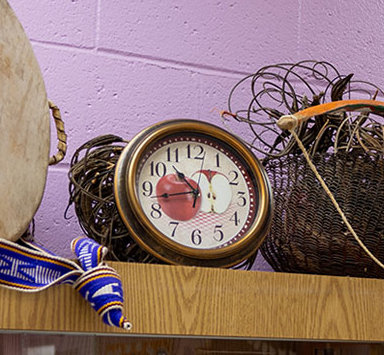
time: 10:42
